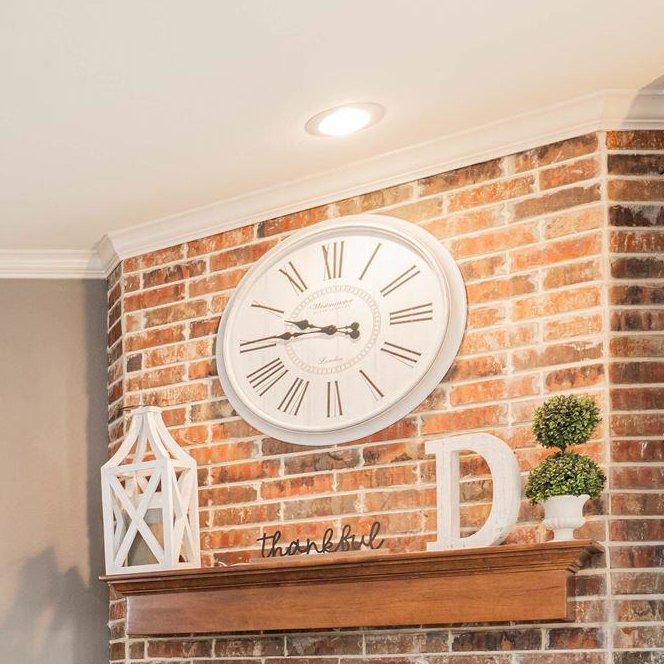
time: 9:45
